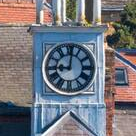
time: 9:01
